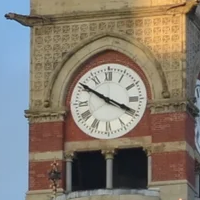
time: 3:50
